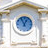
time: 12:55
